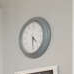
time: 4:29
